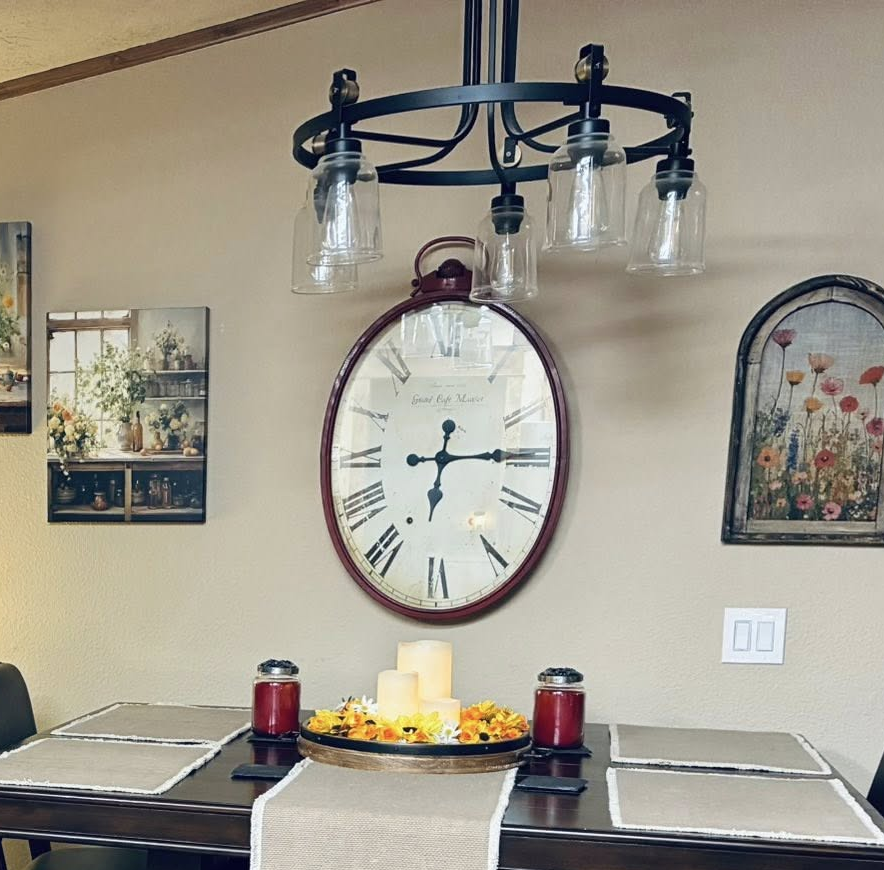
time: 6:14
